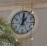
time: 1:00
